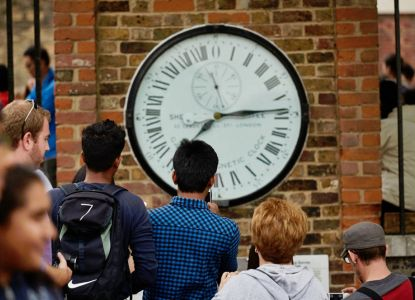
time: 7:14
